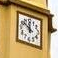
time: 11:51
